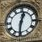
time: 12:30
